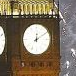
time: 12:09
